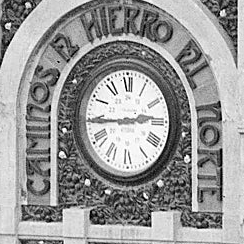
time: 2:44
